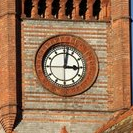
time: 3:01
